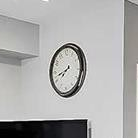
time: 7:42
